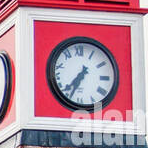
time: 7:34
